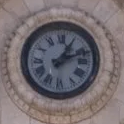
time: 1:11
